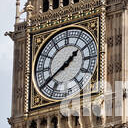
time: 1:39
